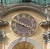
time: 3:48
